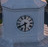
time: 5:40
